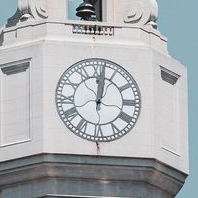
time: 12:01
